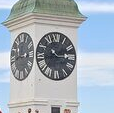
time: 10:14
